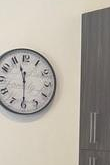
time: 11:29
